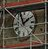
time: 1:56
